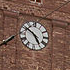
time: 4:50
